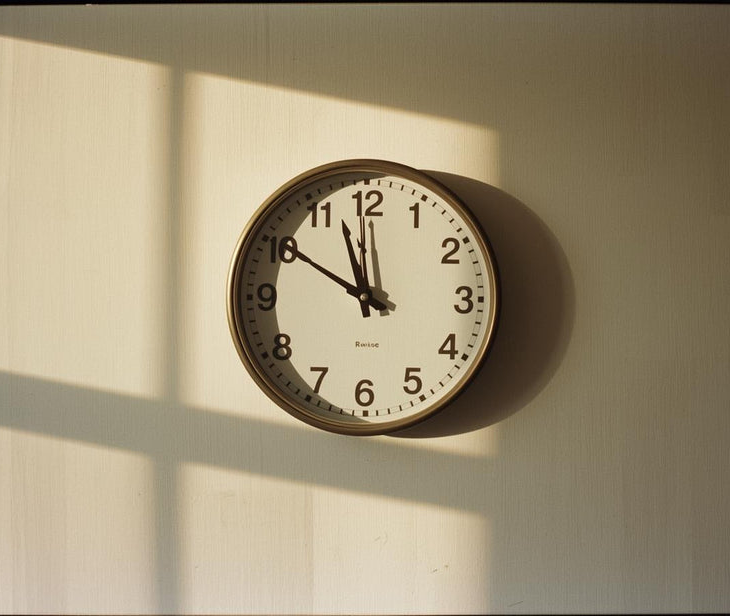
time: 11:50
